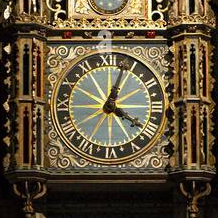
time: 4:03
